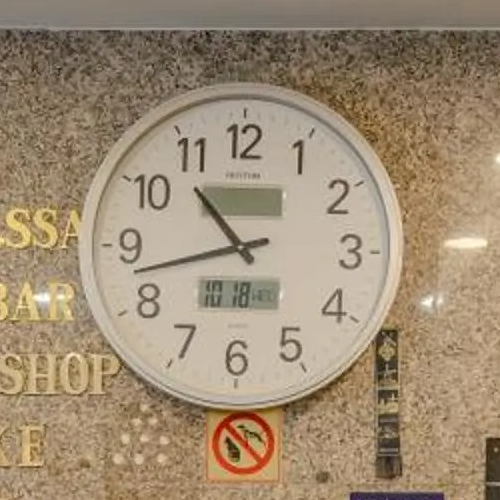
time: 10:42
